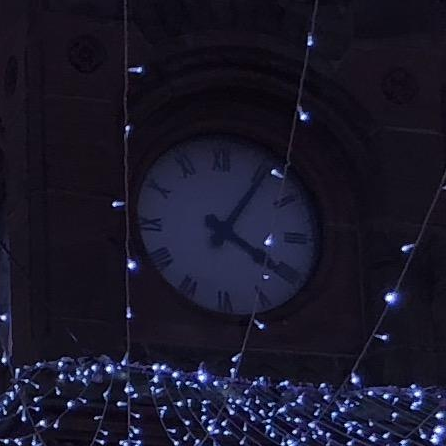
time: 4:05
